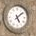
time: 5:08
